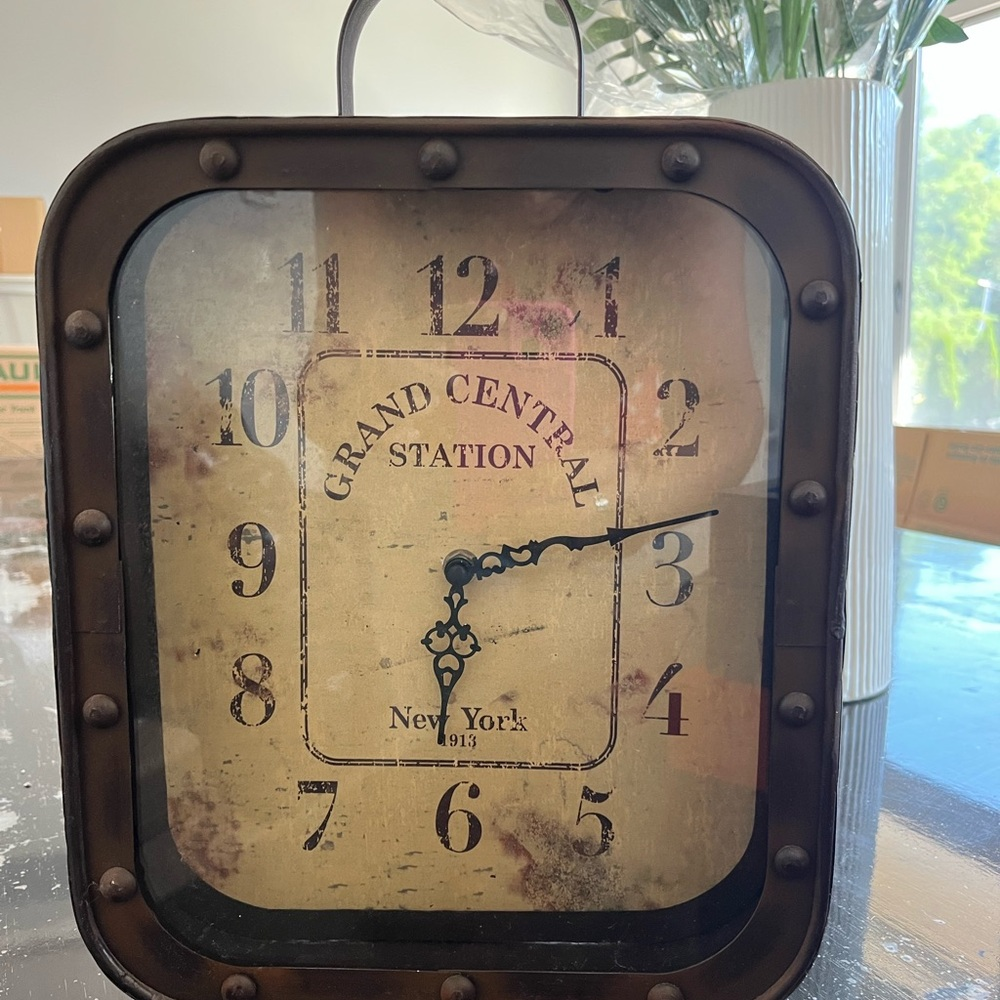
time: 6:13
